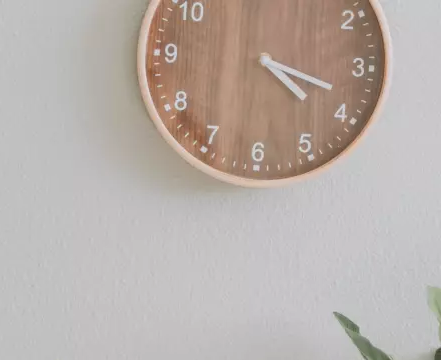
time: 4:18
